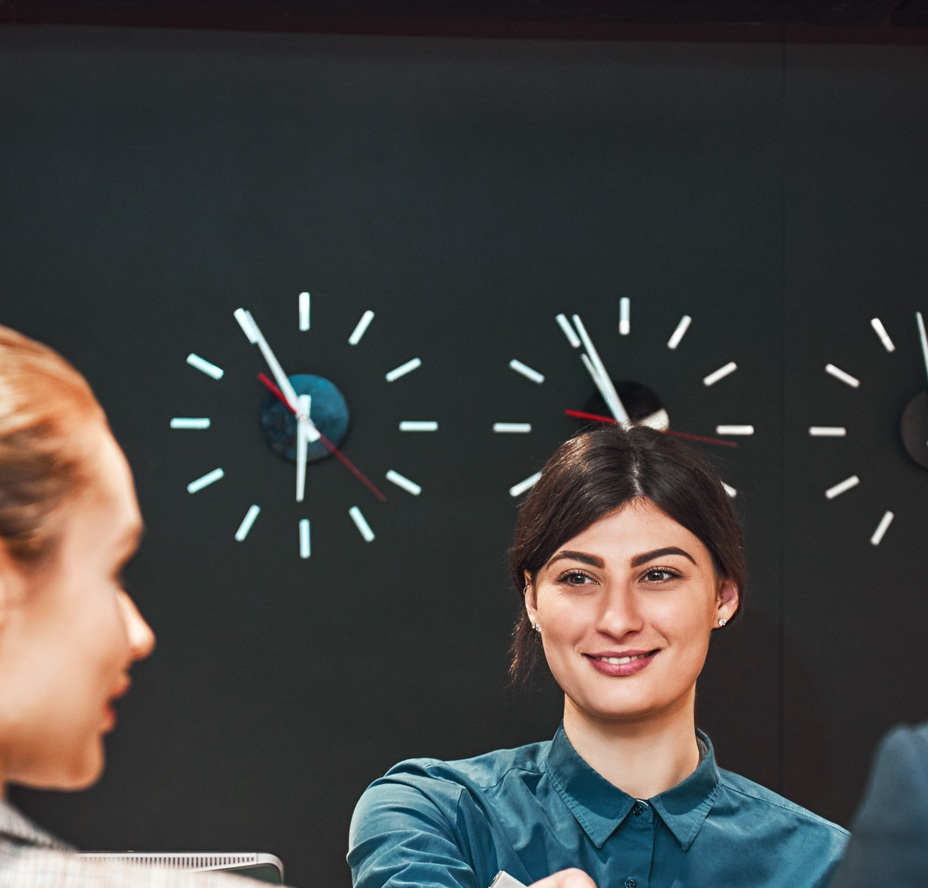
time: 5:55
